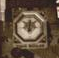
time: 12:07
